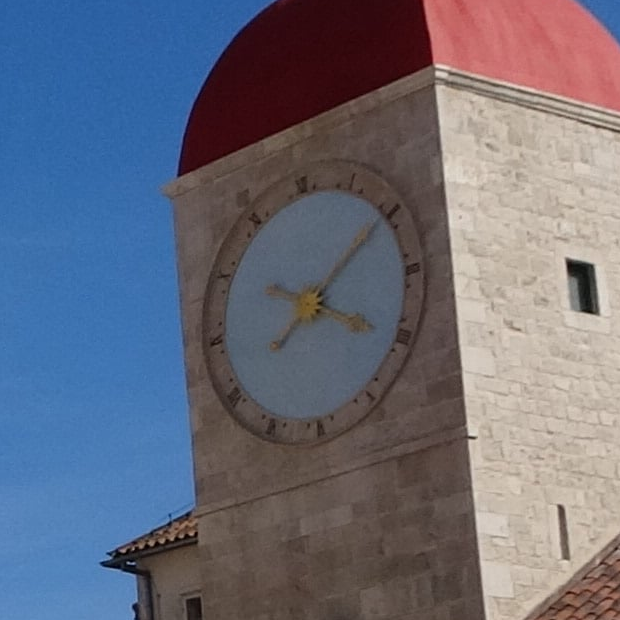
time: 4:09
